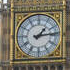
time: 1:13
